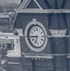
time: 6:44
